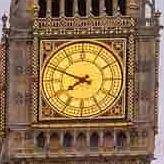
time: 7:48
